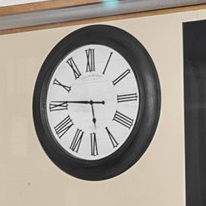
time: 5:45
